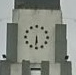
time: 5:30
